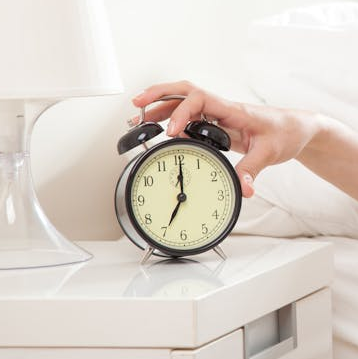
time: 7:00
